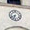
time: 6:41
